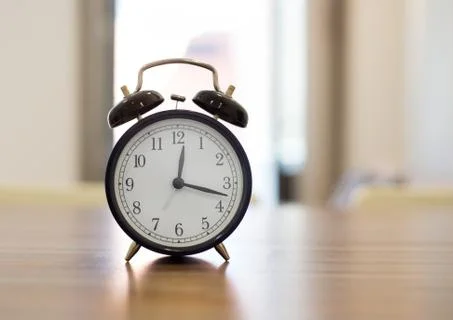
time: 12:17
